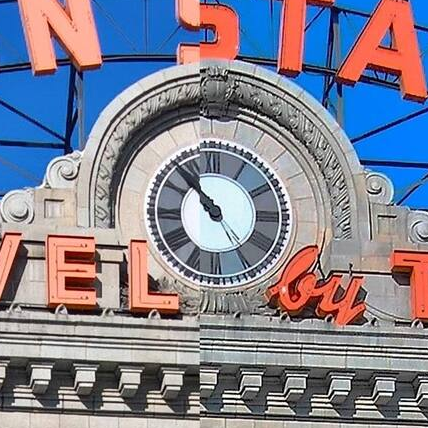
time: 10:53
